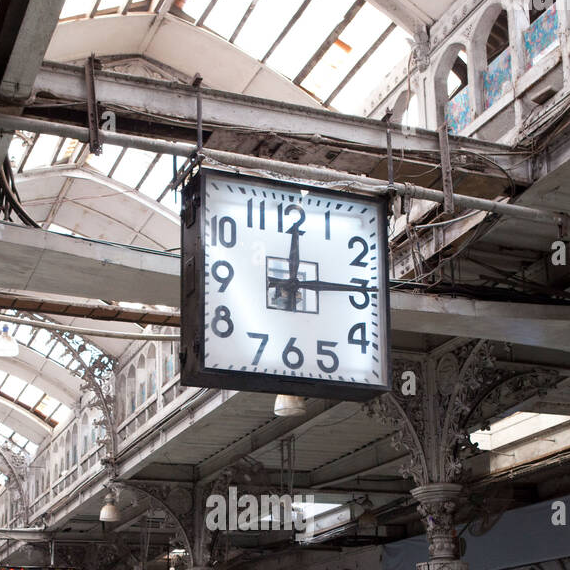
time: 12:14
